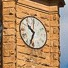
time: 10:33
